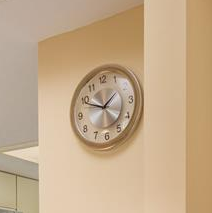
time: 1:49
